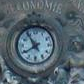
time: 7:54
